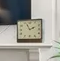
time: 1:56
